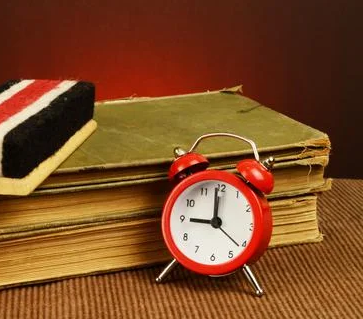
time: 8:59
